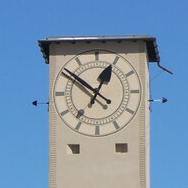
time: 12:51
